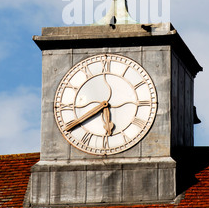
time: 5:39
